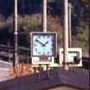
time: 1:50
